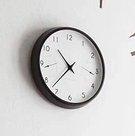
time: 10:37
